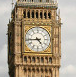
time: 4:44
